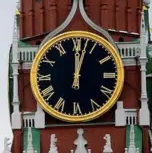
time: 12:02
